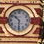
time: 10:30
